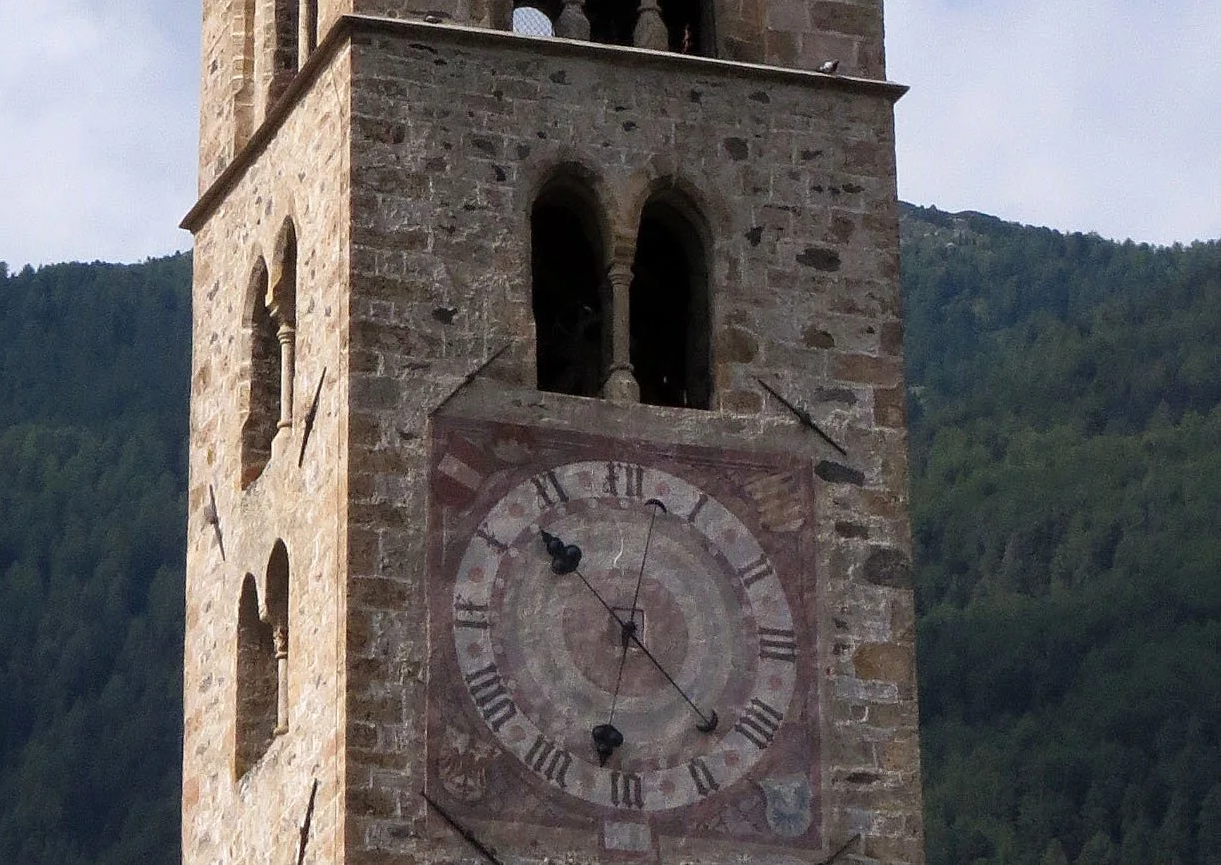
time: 10:22
